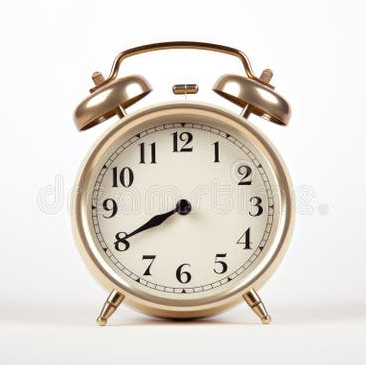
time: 7:40
